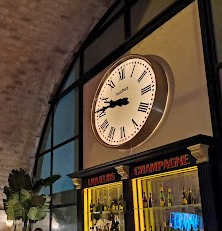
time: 9:45
